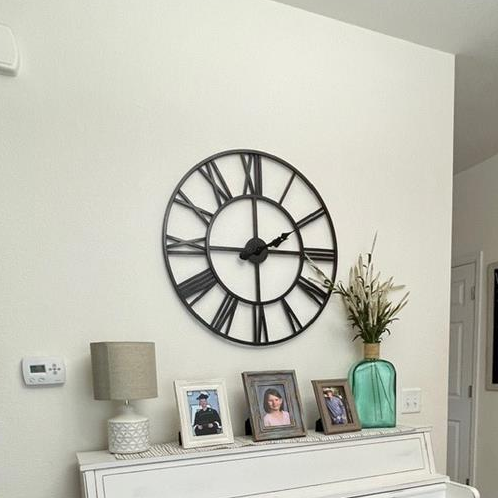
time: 2:00
